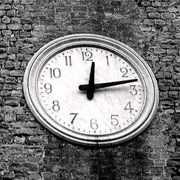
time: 12:12
